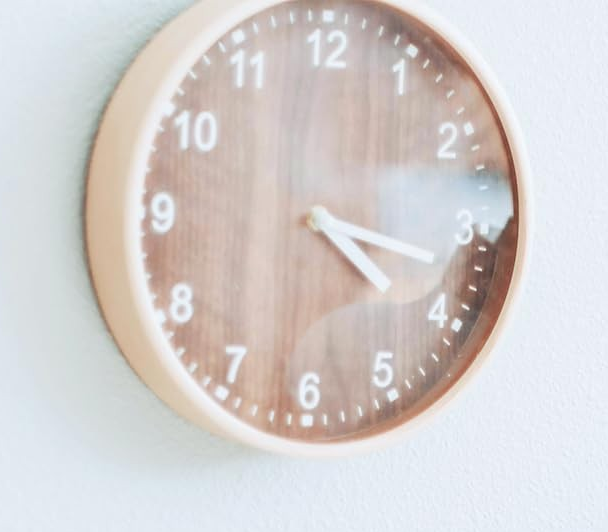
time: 4:17
